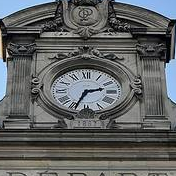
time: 2:33
